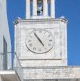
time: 4:54
